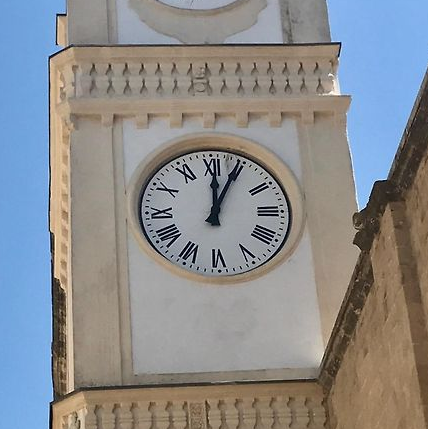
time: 12:04
